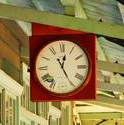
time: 12:24
